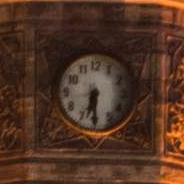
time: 6:29
